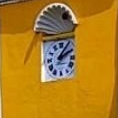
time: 2:06
